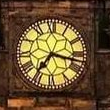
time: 7:17
